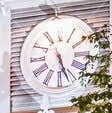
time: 5:26
